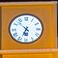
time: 6:52
